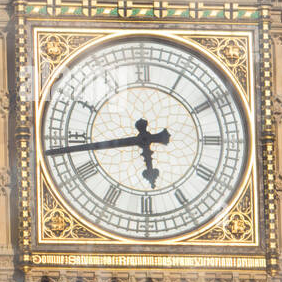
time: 5:43
